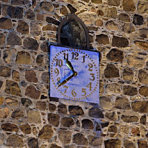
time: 10:38
